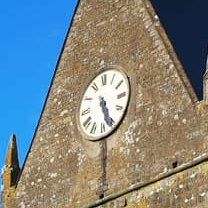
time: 5:26
